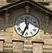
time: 11:34
